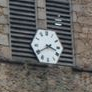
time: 3:40
